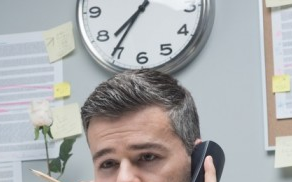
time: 7:35
